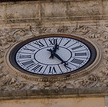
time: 12:24
